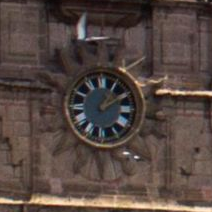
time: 1:09
